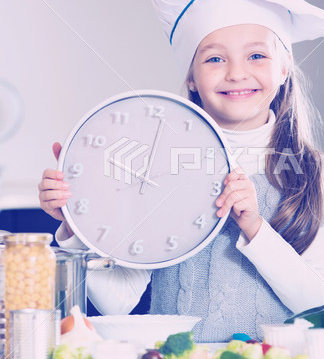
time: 10:01
